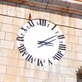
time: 3:09
